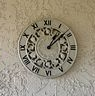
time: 1:08
